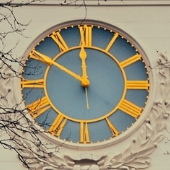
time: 11:50
